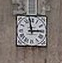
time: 2:58
